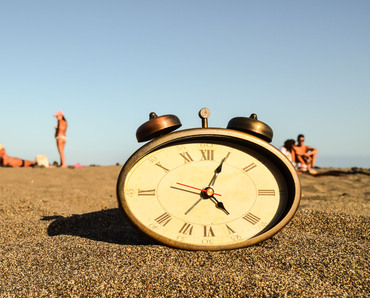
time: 4:04
